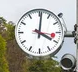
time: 4:01
